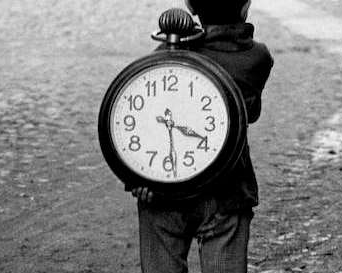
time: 3:29
